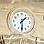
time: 1:30
